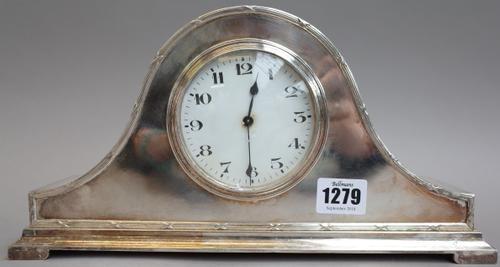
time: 12:30
